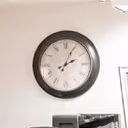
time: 2:04
